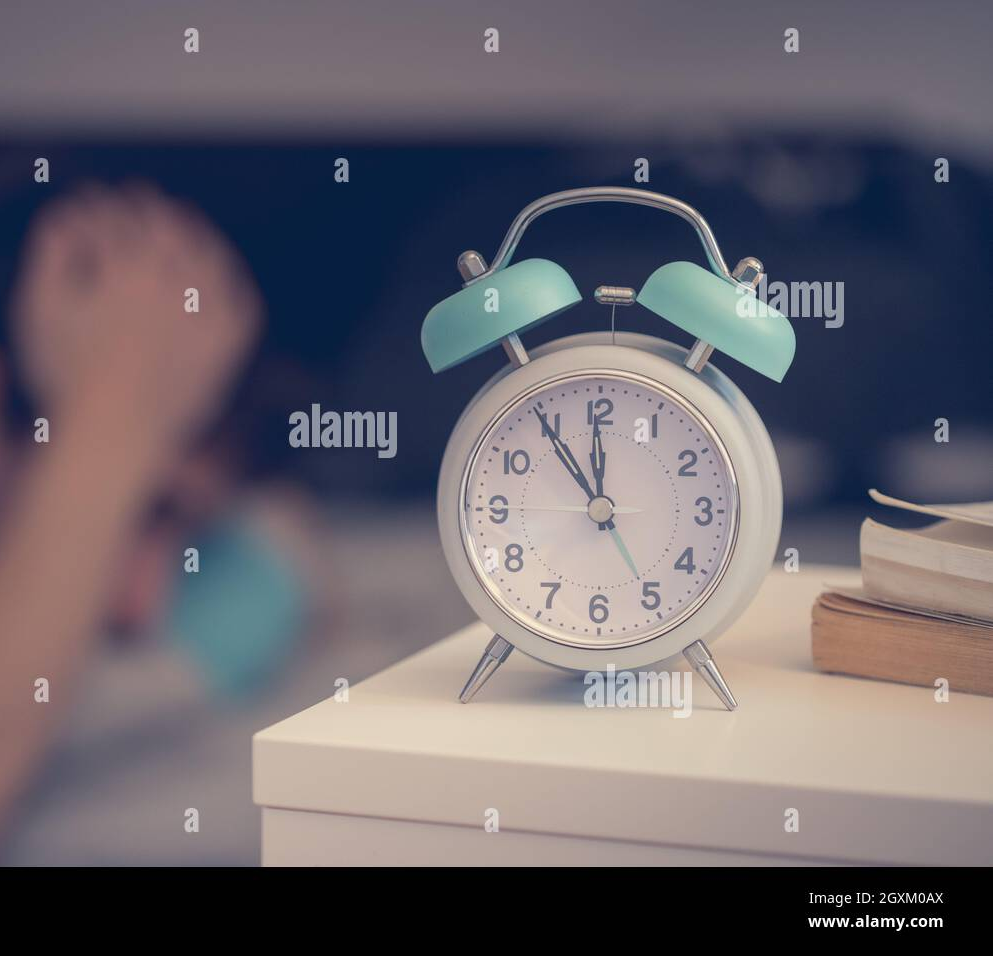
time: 11:54
